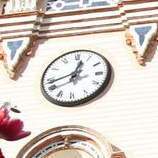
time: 12:42
